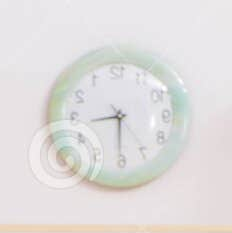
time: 8:30
